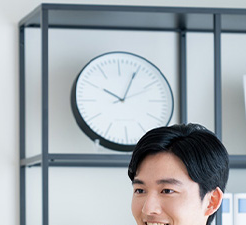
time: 10:04
